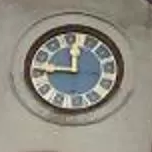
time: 11:46
